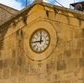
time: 11:44
